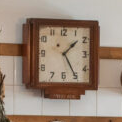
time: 1:24
